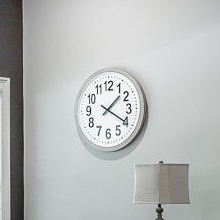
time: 1:20
